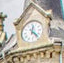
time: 12:23
